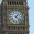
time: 1:22
